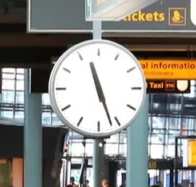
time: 11:26
